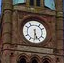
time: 5:30
